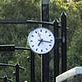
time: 7:17
